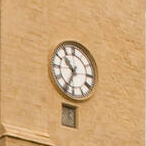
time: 10:34
